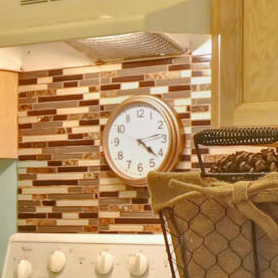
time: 4:13
